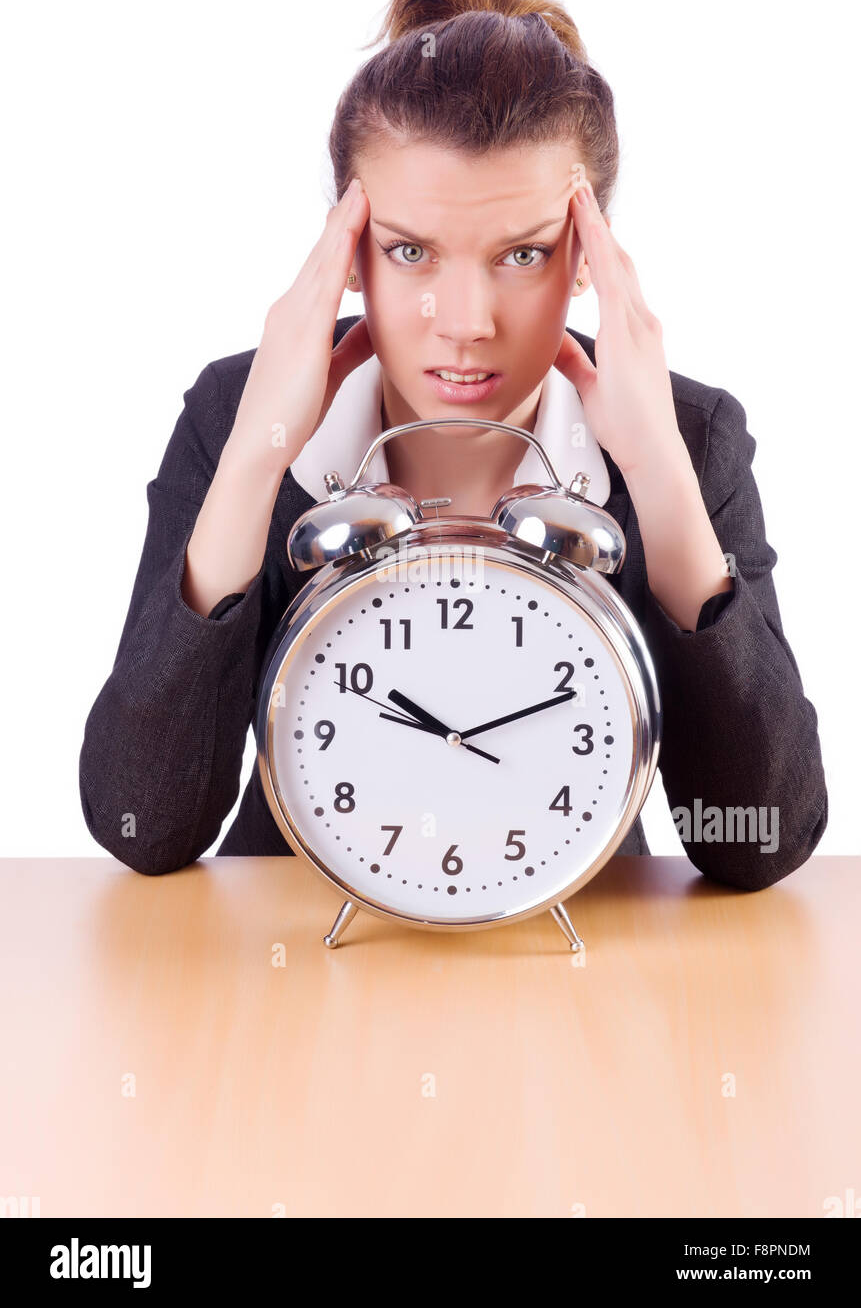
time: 10:11
